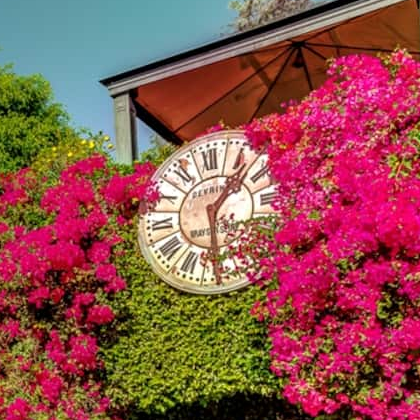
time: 1:28
